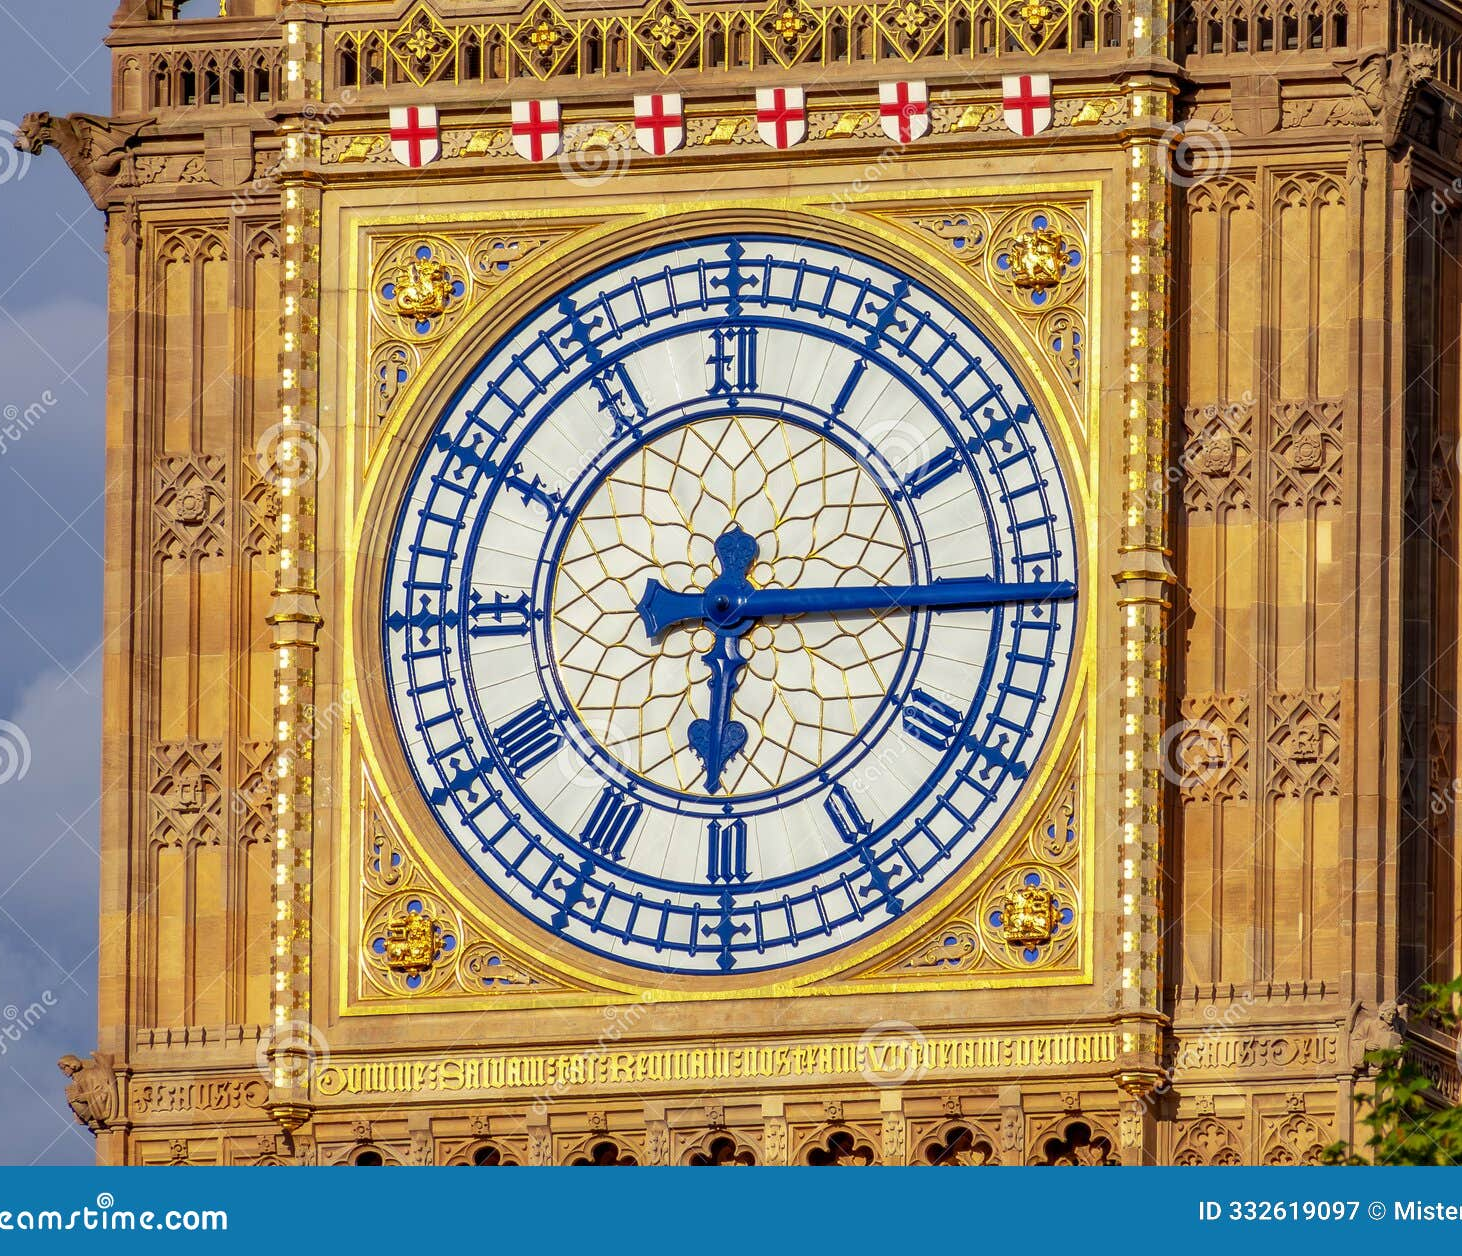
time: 6:14
